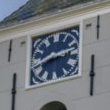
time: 8:12
